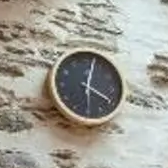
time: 4:02
